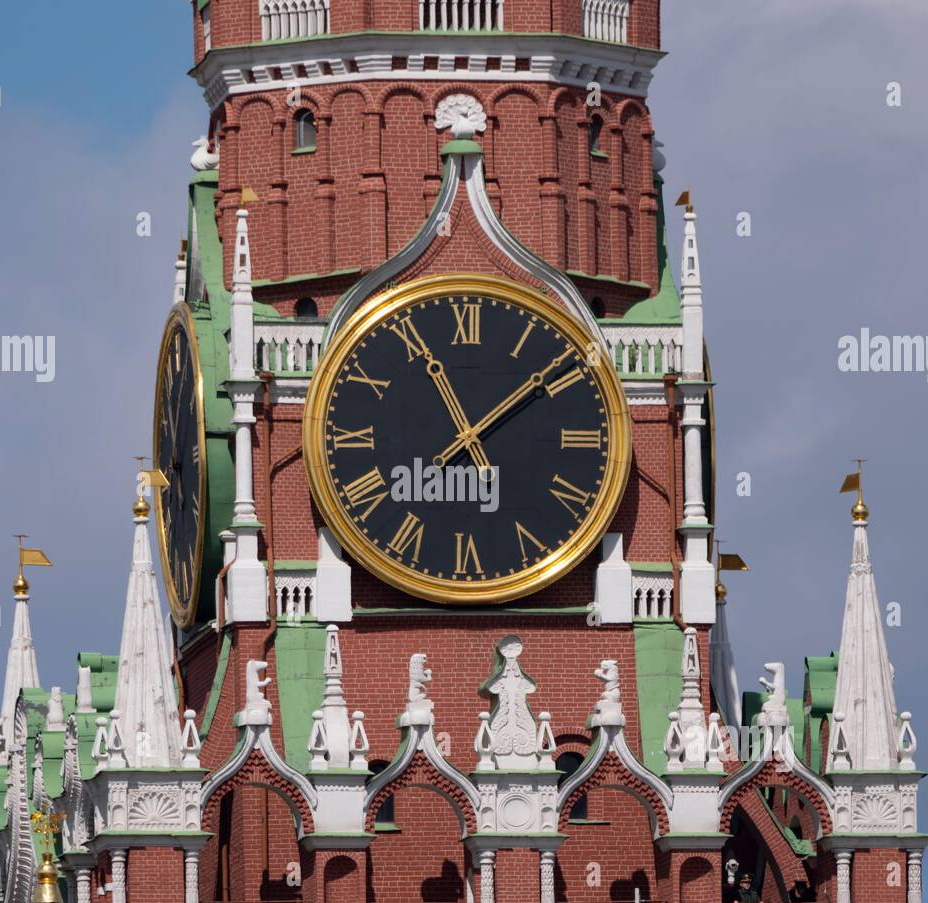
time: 11:08
